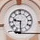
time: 9:31
